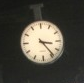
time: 3:23
